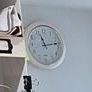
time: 11:13
